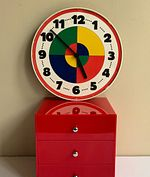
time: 4:52
